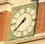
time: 7:37
